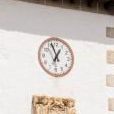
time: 12:56
